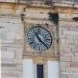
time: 11:22
